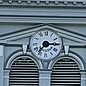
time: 7:14
